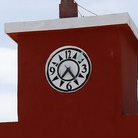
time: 7:24
